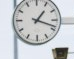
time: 1:18
